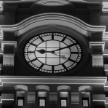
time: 9:10
